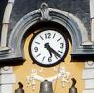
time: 5:22
